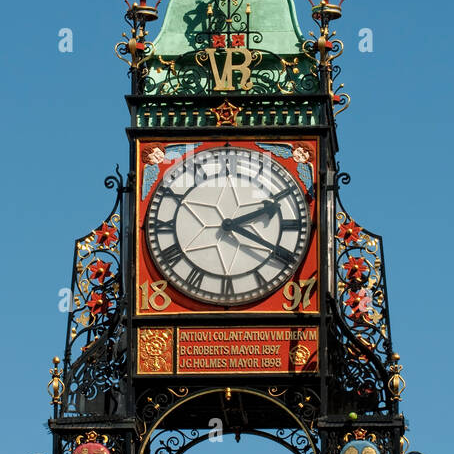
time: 2:19
